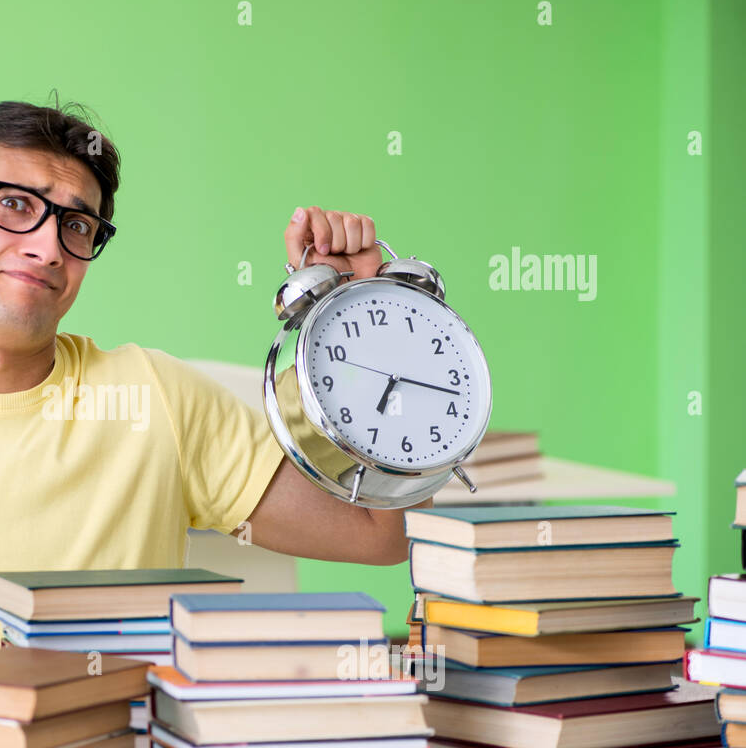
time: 7:17
